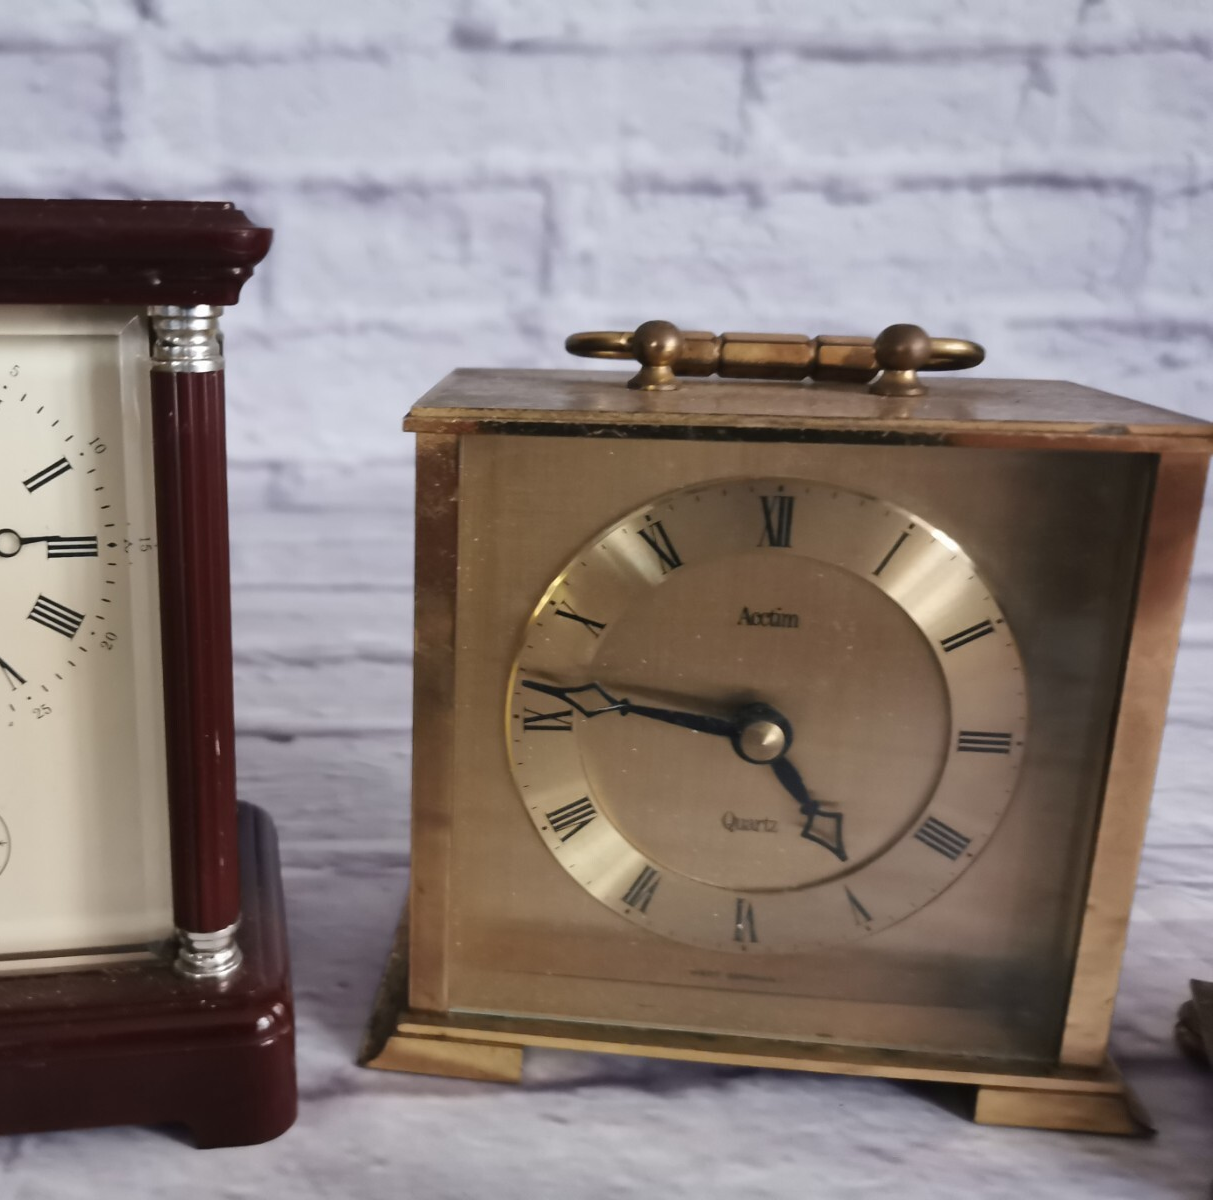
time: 4:46
